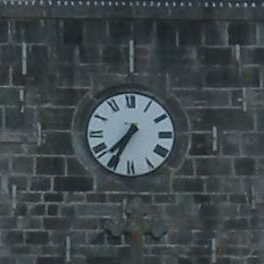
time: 7:34
